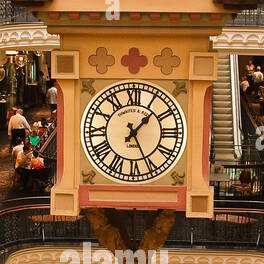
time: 1:25
